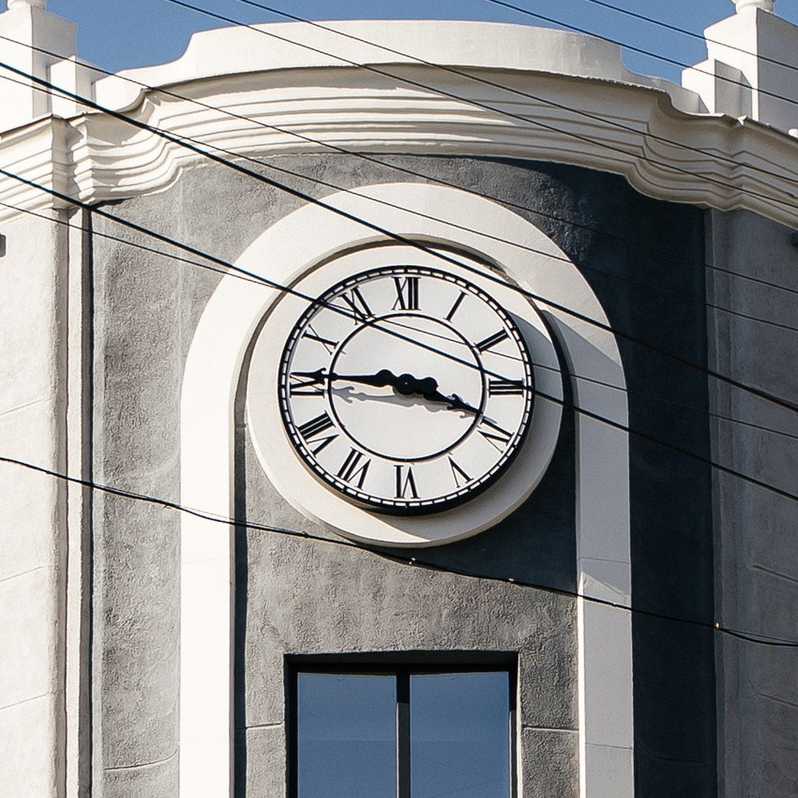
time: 3:45
